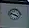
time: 3:47
